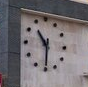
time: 10:30
